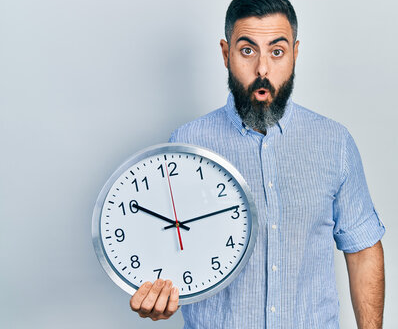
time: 10:13
